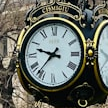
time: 9:36
